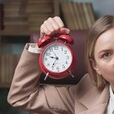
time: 9:35
